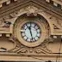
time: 11:27
